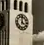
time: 4:01
